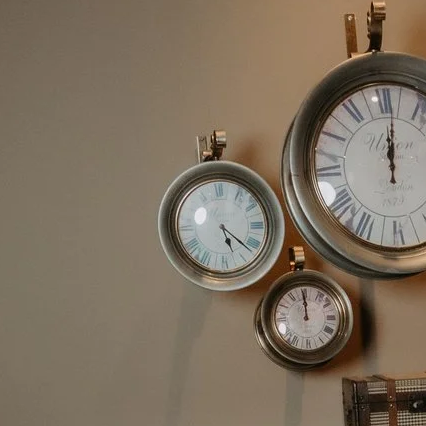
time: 5:21
